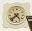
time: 4:37
